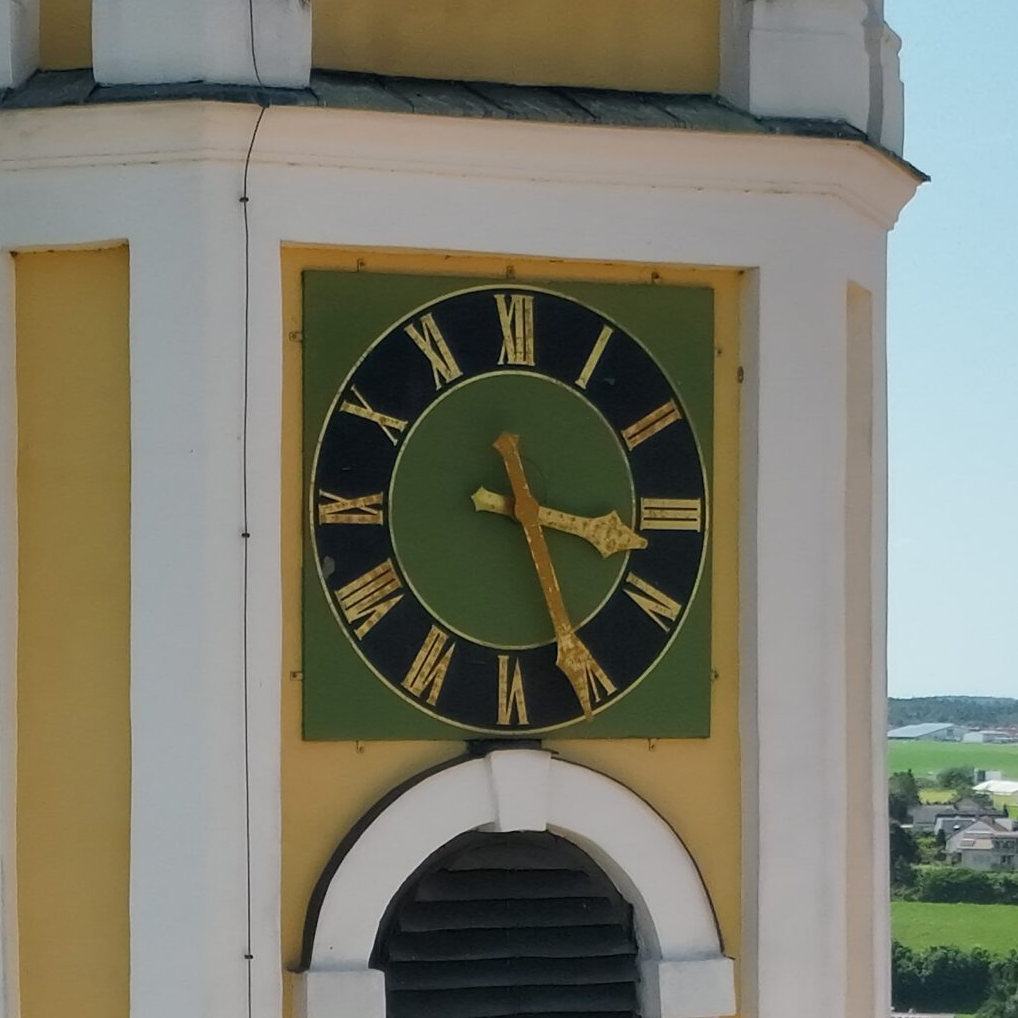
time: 3:26
